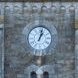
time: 1:02
